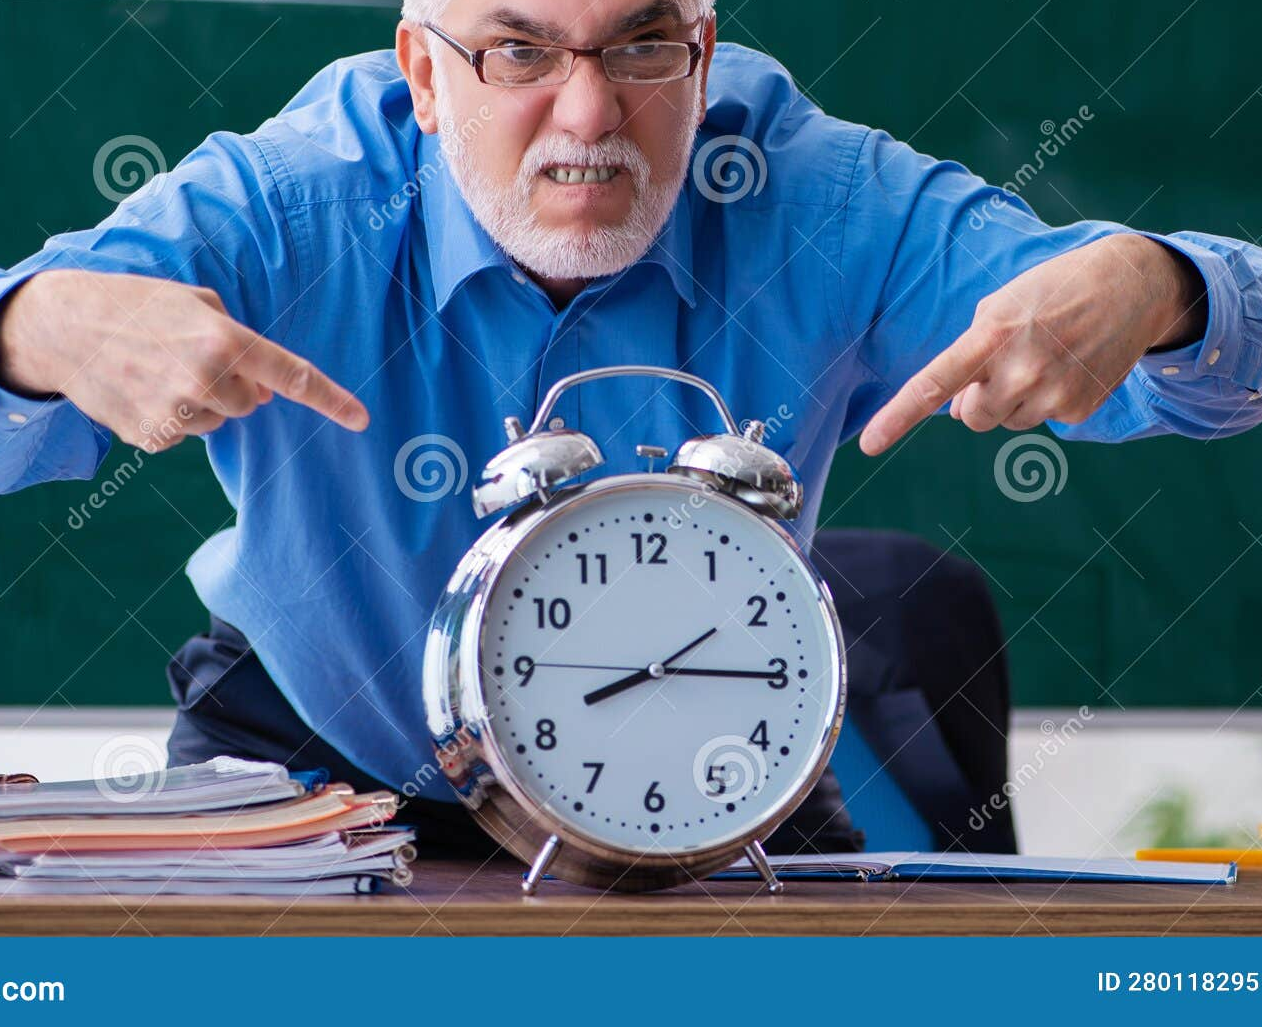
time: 8:15
